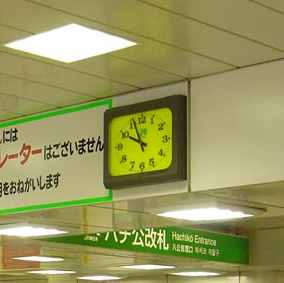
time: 9:56
